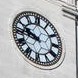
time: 9:45
